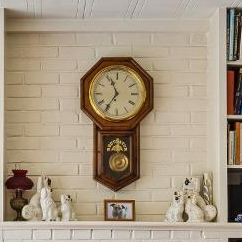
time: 11:35
